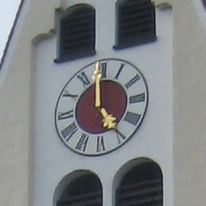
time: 4:59
